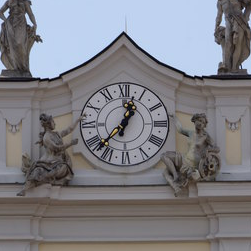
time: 12:37
